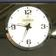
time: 6:46
